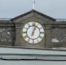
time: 1:02
